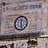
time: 12:28
